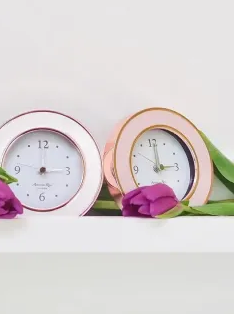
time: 3:00
